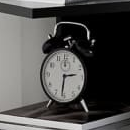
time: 2:31
